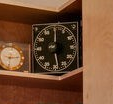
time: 12:28
